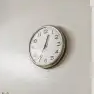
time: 12:34
